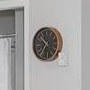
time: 10:36
